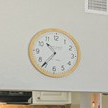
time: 10:36
